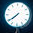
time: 7:39
